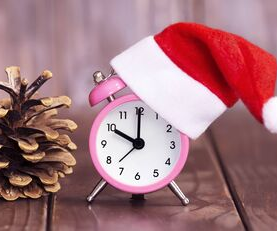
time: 10:00
